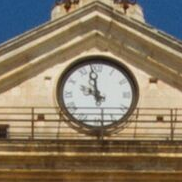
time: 9:58
